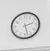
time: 2:27
